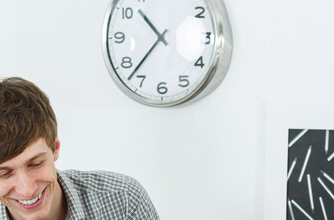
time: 10:37
